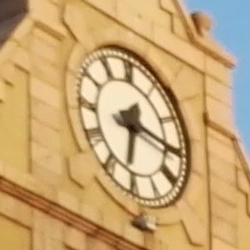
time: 6:15
